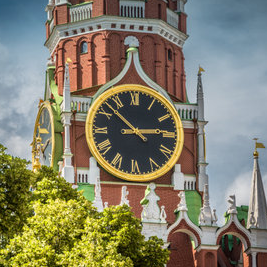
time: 2:52
